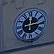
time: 12:14
